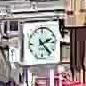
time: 2:23
